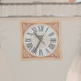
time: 10:34
